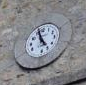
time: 4:57
